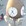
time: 4:35
